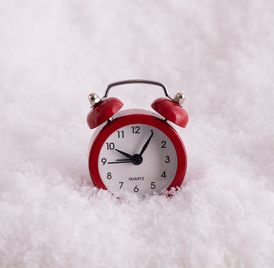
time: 10:05
